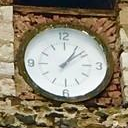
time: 1:08
